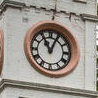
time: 11:04
